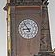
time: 8:54
